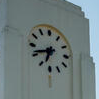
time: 6:41
